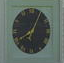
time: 8:04
